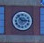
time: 2:53
